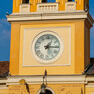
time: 1:15
